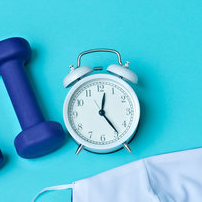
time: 12:23
